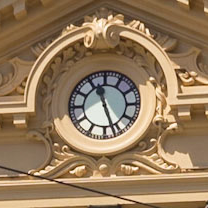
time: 11:26
